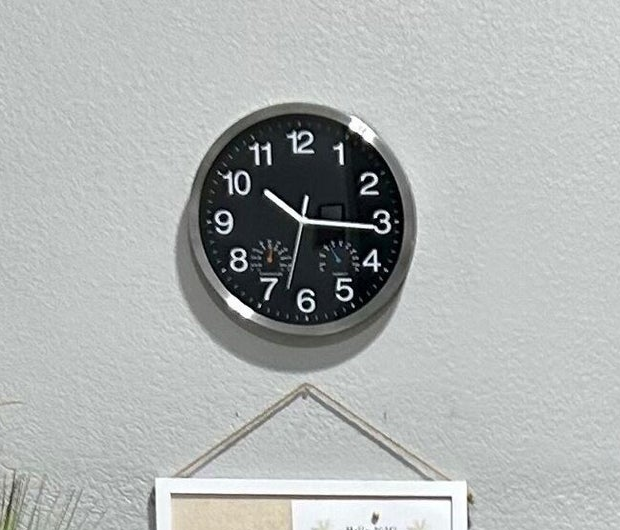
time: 10:15
